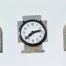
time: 2:37
